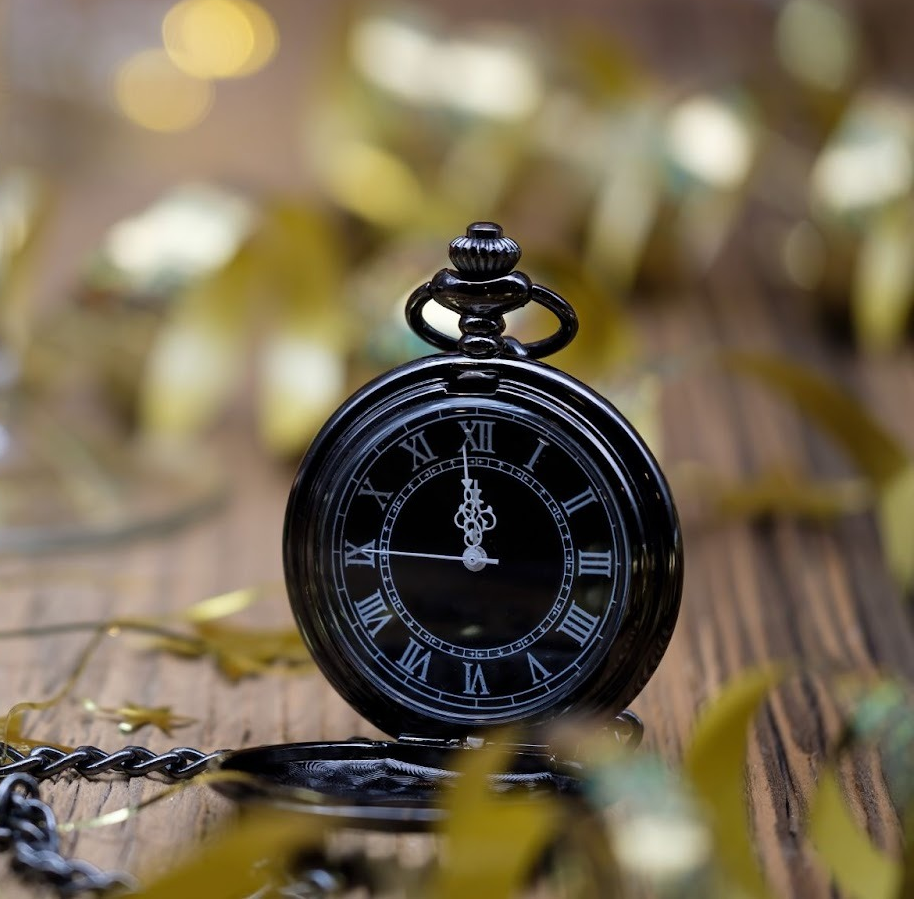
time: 11:45
